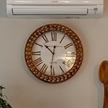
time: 10:31
